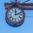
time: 12:11
